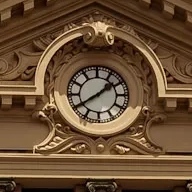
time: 1:39
